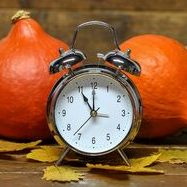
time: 11:00
